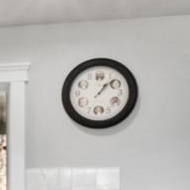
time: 1:07
